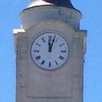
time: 12:03
